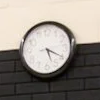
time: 5:20
